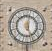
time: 12:26
